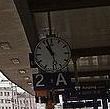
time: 10:57
